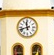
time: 11:41
